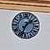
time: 1:33
